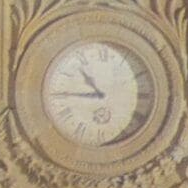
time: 10:45
